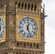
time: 12:26
